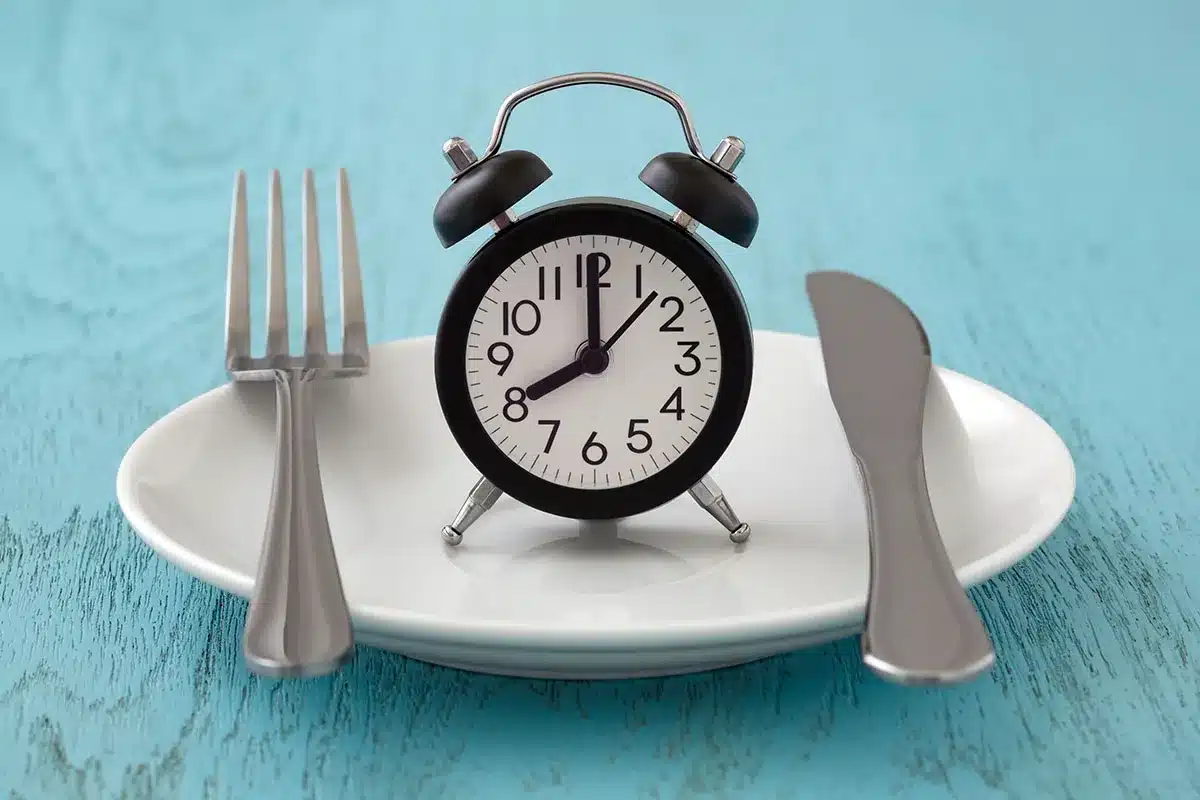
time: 8:00
